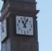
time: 11:04
